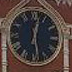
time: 12:28
